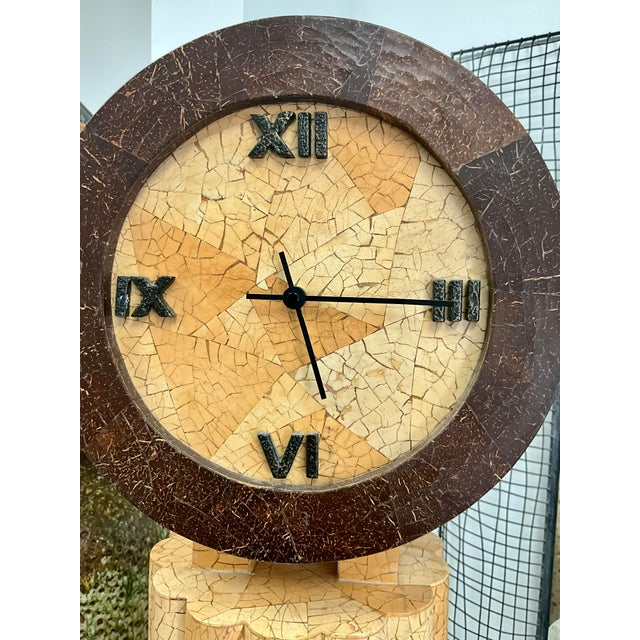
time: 5:14
